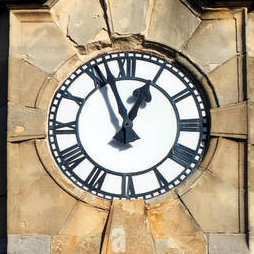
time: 12:57
